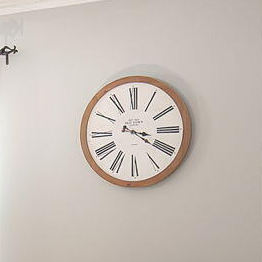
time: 3:20
